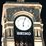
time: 6:03
